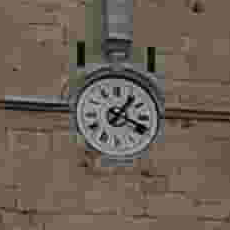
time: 1:18
